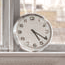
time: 5:20
